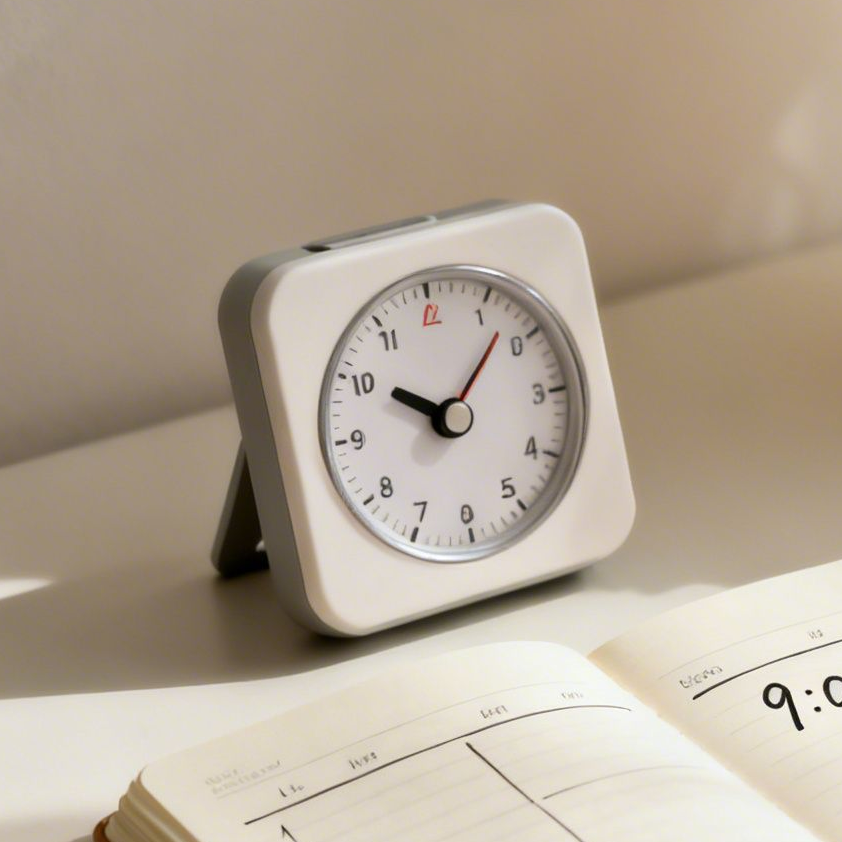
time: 10:07
